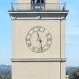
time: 11:28
